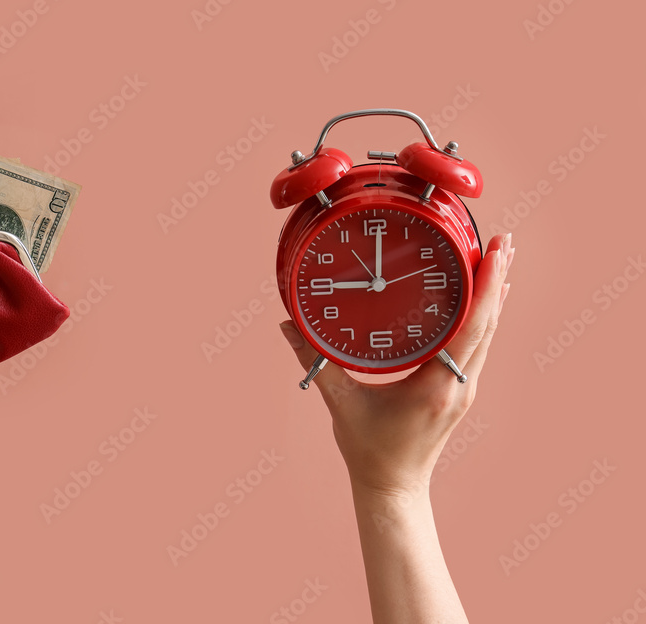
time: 9:01
